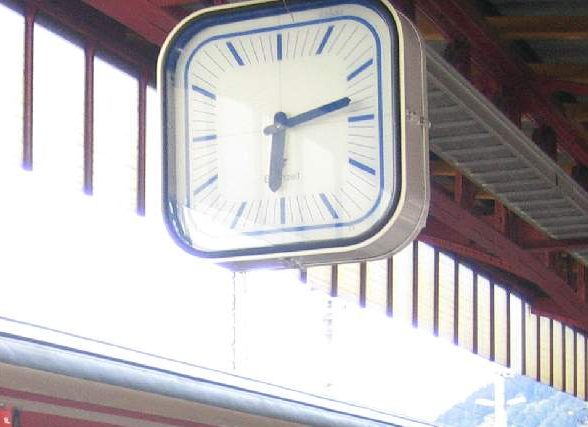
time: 6:12
